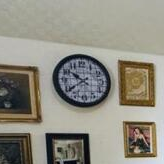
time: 10:39
